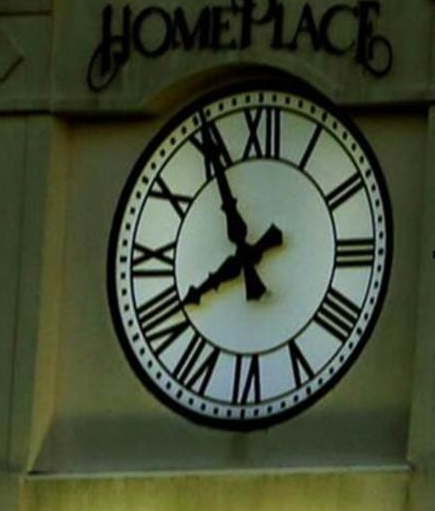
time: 7:54
